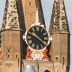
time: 10:20
